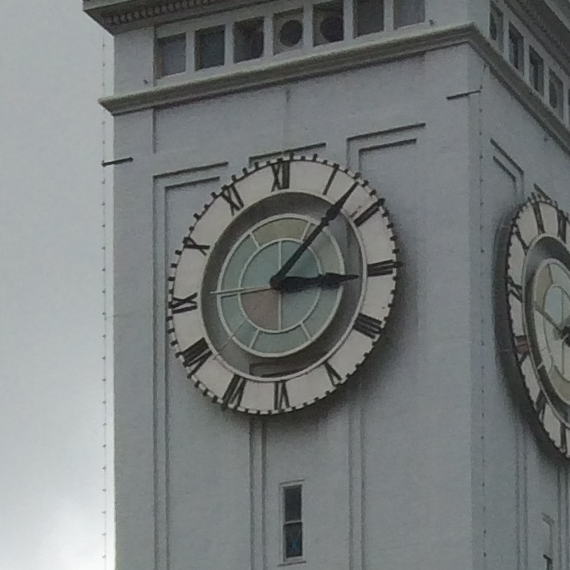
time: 3:07
